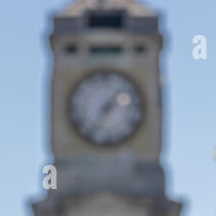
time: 7:06
